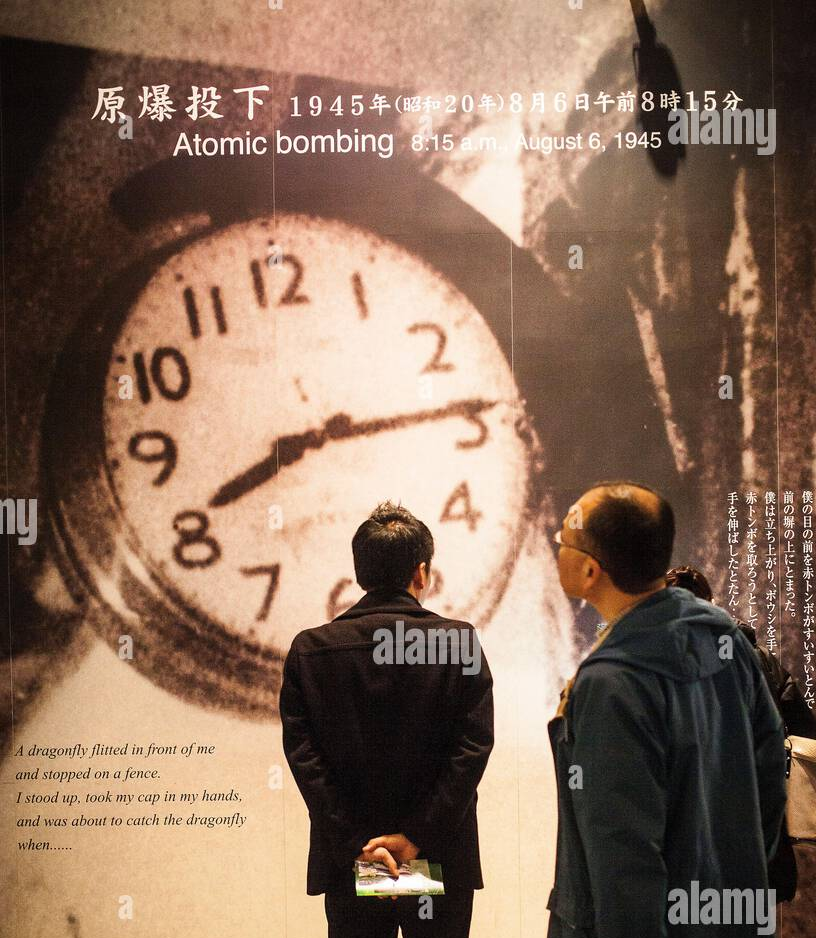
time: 8:14
